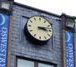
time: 3:12
